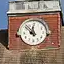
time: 11:52
